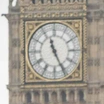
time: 11:25
